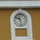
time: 10:28
